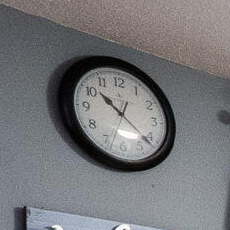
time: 10:21
